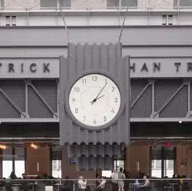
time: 2:06
